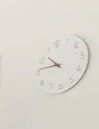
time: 10:46
